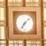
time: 7:07
